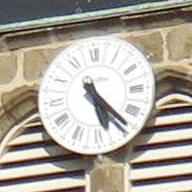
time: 5:23
